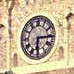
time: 6:15
